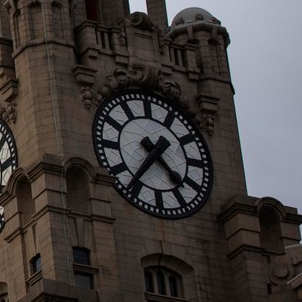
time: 4:36
